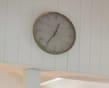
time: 12:35
